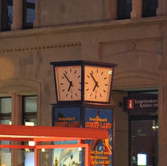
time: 6:52
